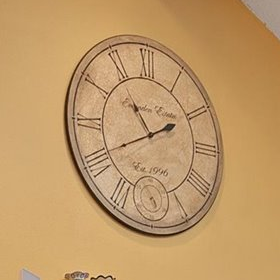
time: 10:40
